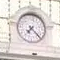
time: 7:22
